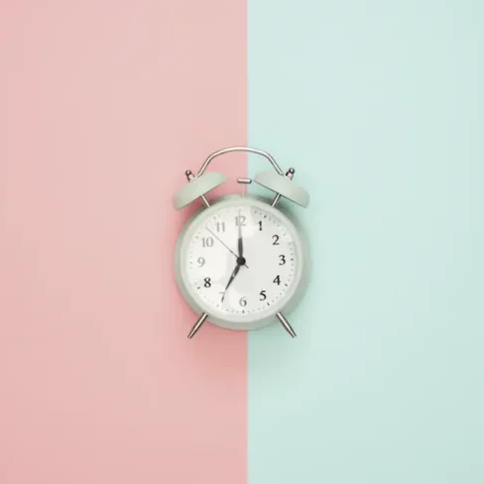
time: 7:00
